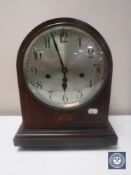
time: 5:56
